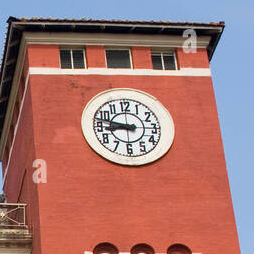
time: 8:47
